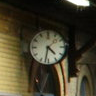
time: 4:32
